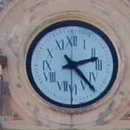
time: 2:23
